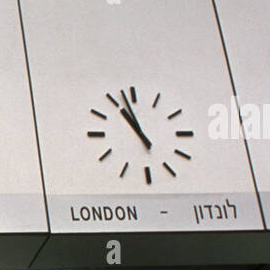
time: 10:57
